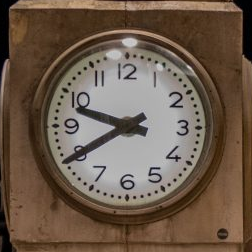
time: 9:40
